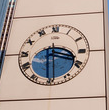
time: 3:29
